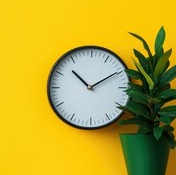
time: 1:52
